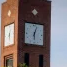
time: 6:03
